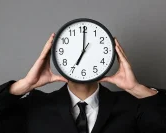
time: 7:00
